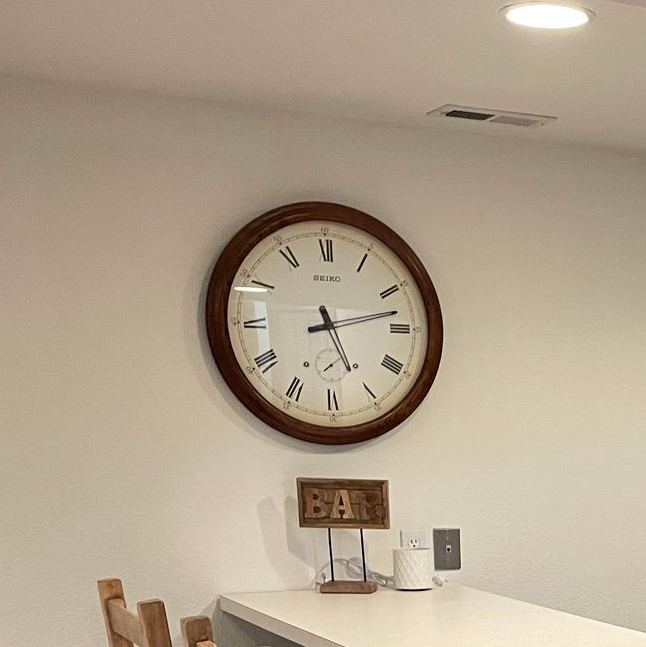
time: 5:12
